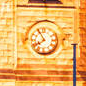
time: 7:55
